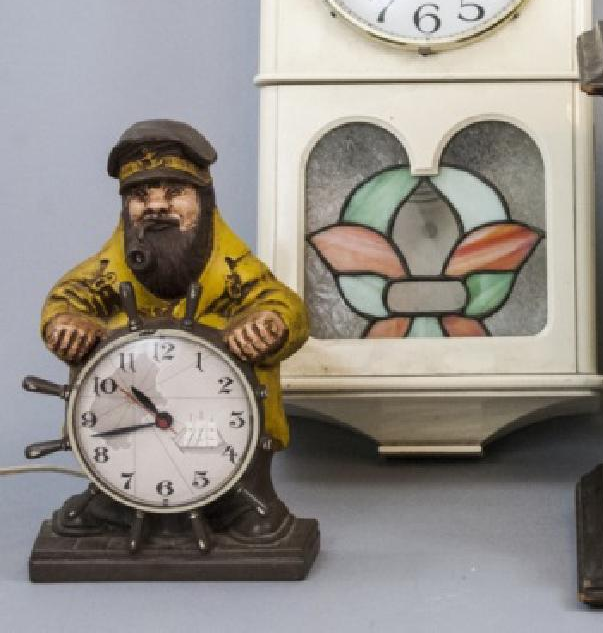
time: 10:42
